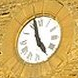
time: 4:57
